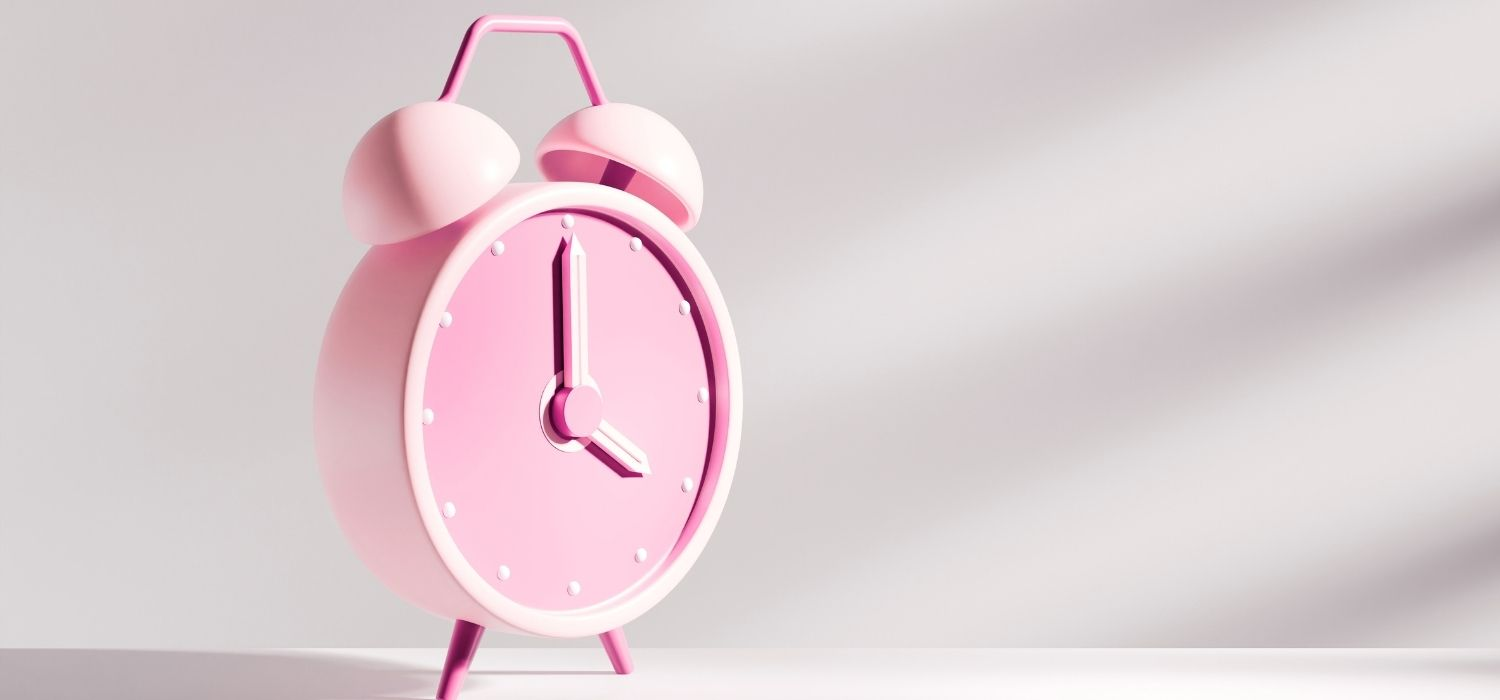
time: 4:00
